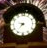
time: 9:36
